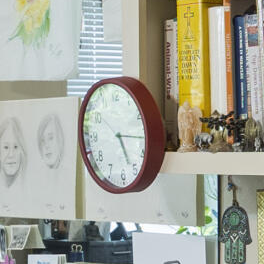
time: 5:15
